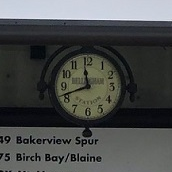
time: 11:41
